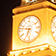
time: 6:47
